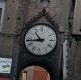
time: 10:43
